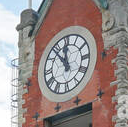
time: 11:53
